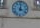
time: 4:01
